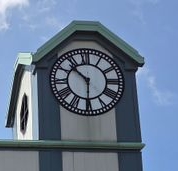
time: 10:30
